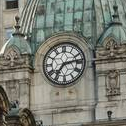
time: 7:13
